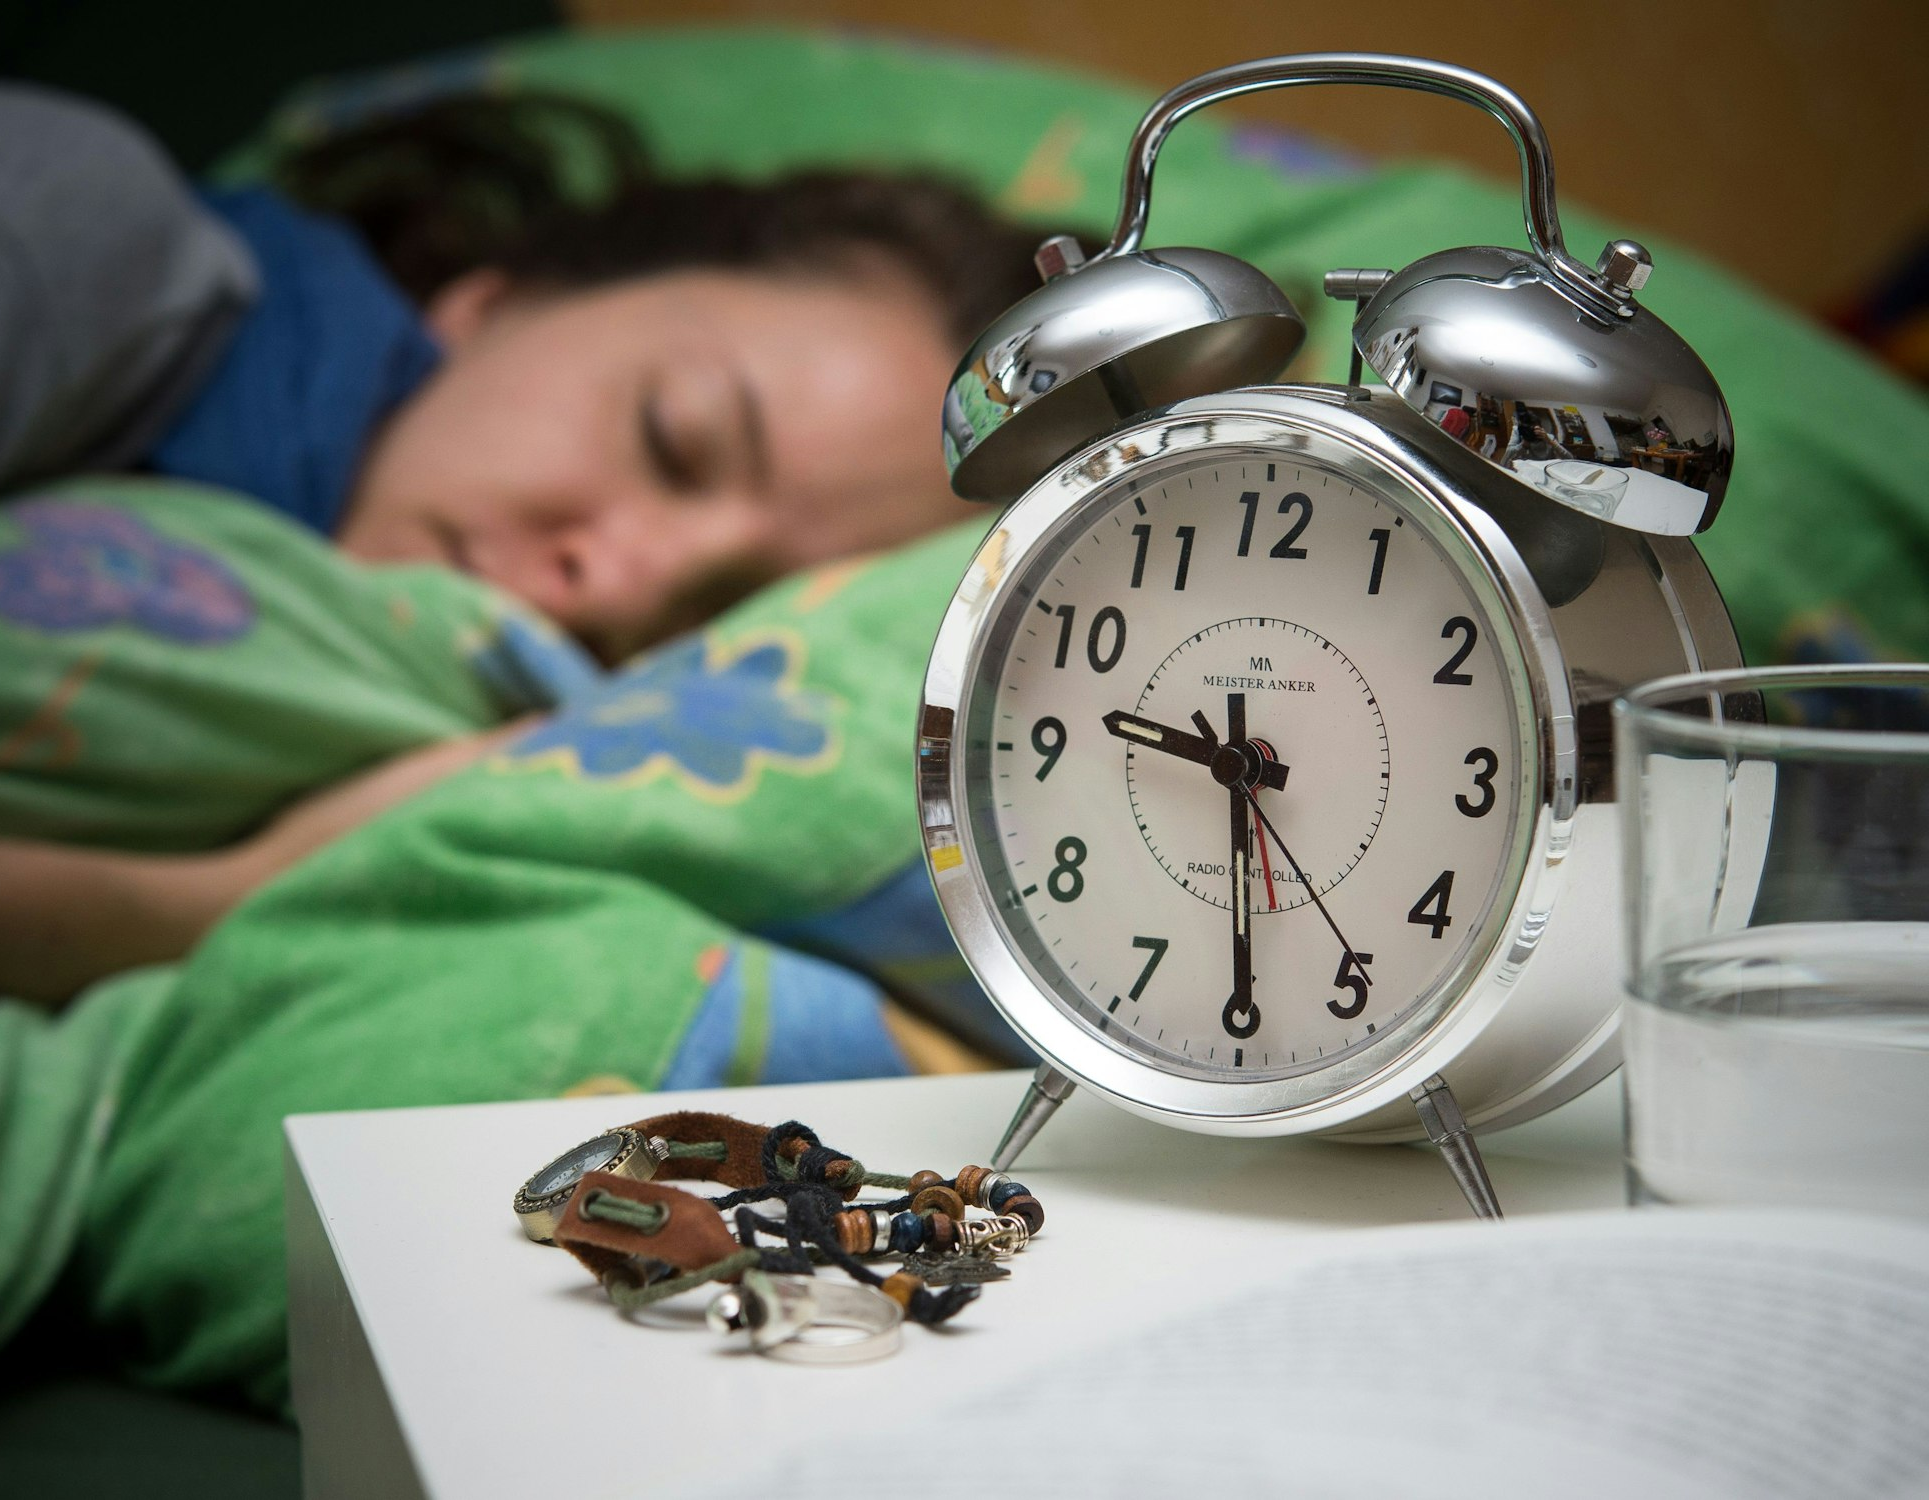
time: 9:29
